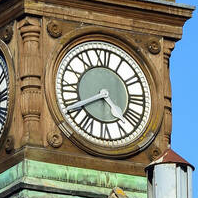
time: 4:40
